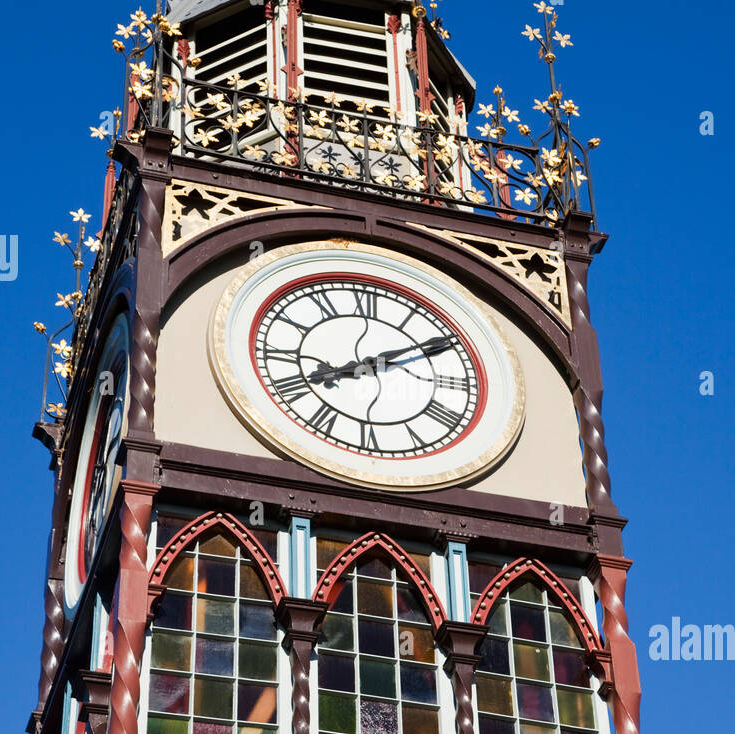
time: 8:09
